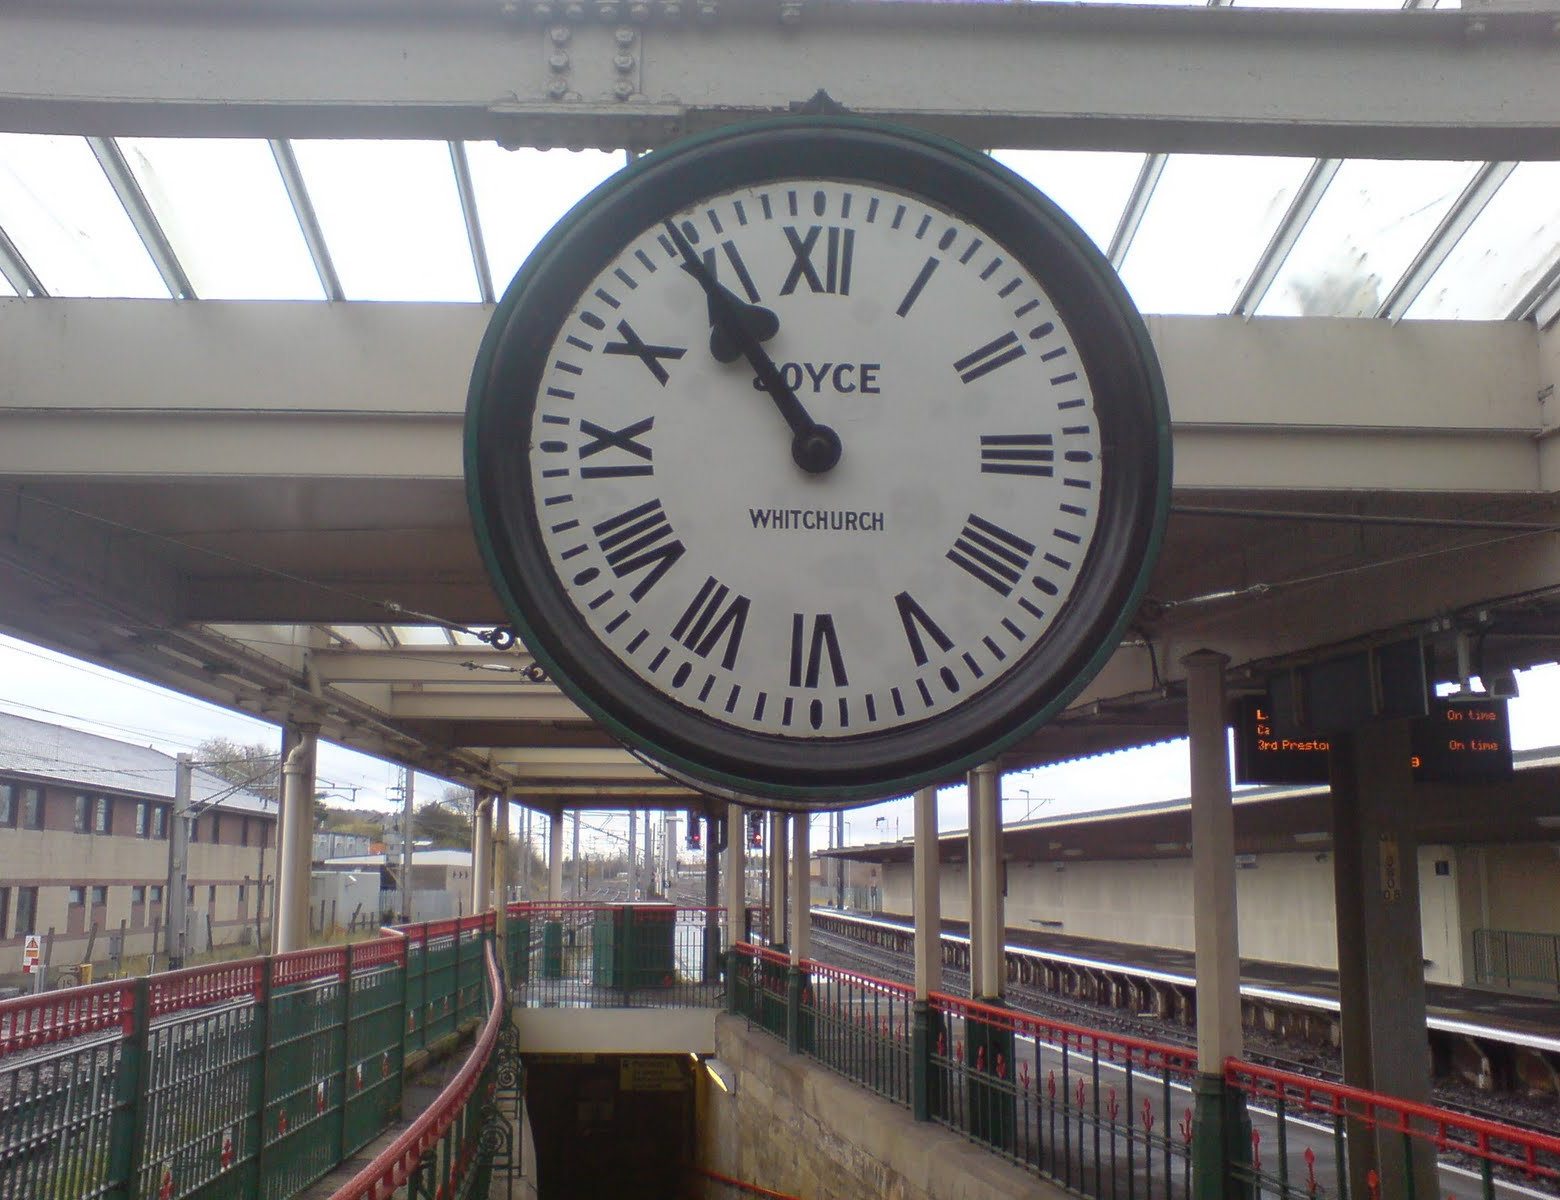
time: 10:54
